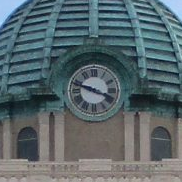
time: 3:47
